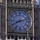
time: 8:12
